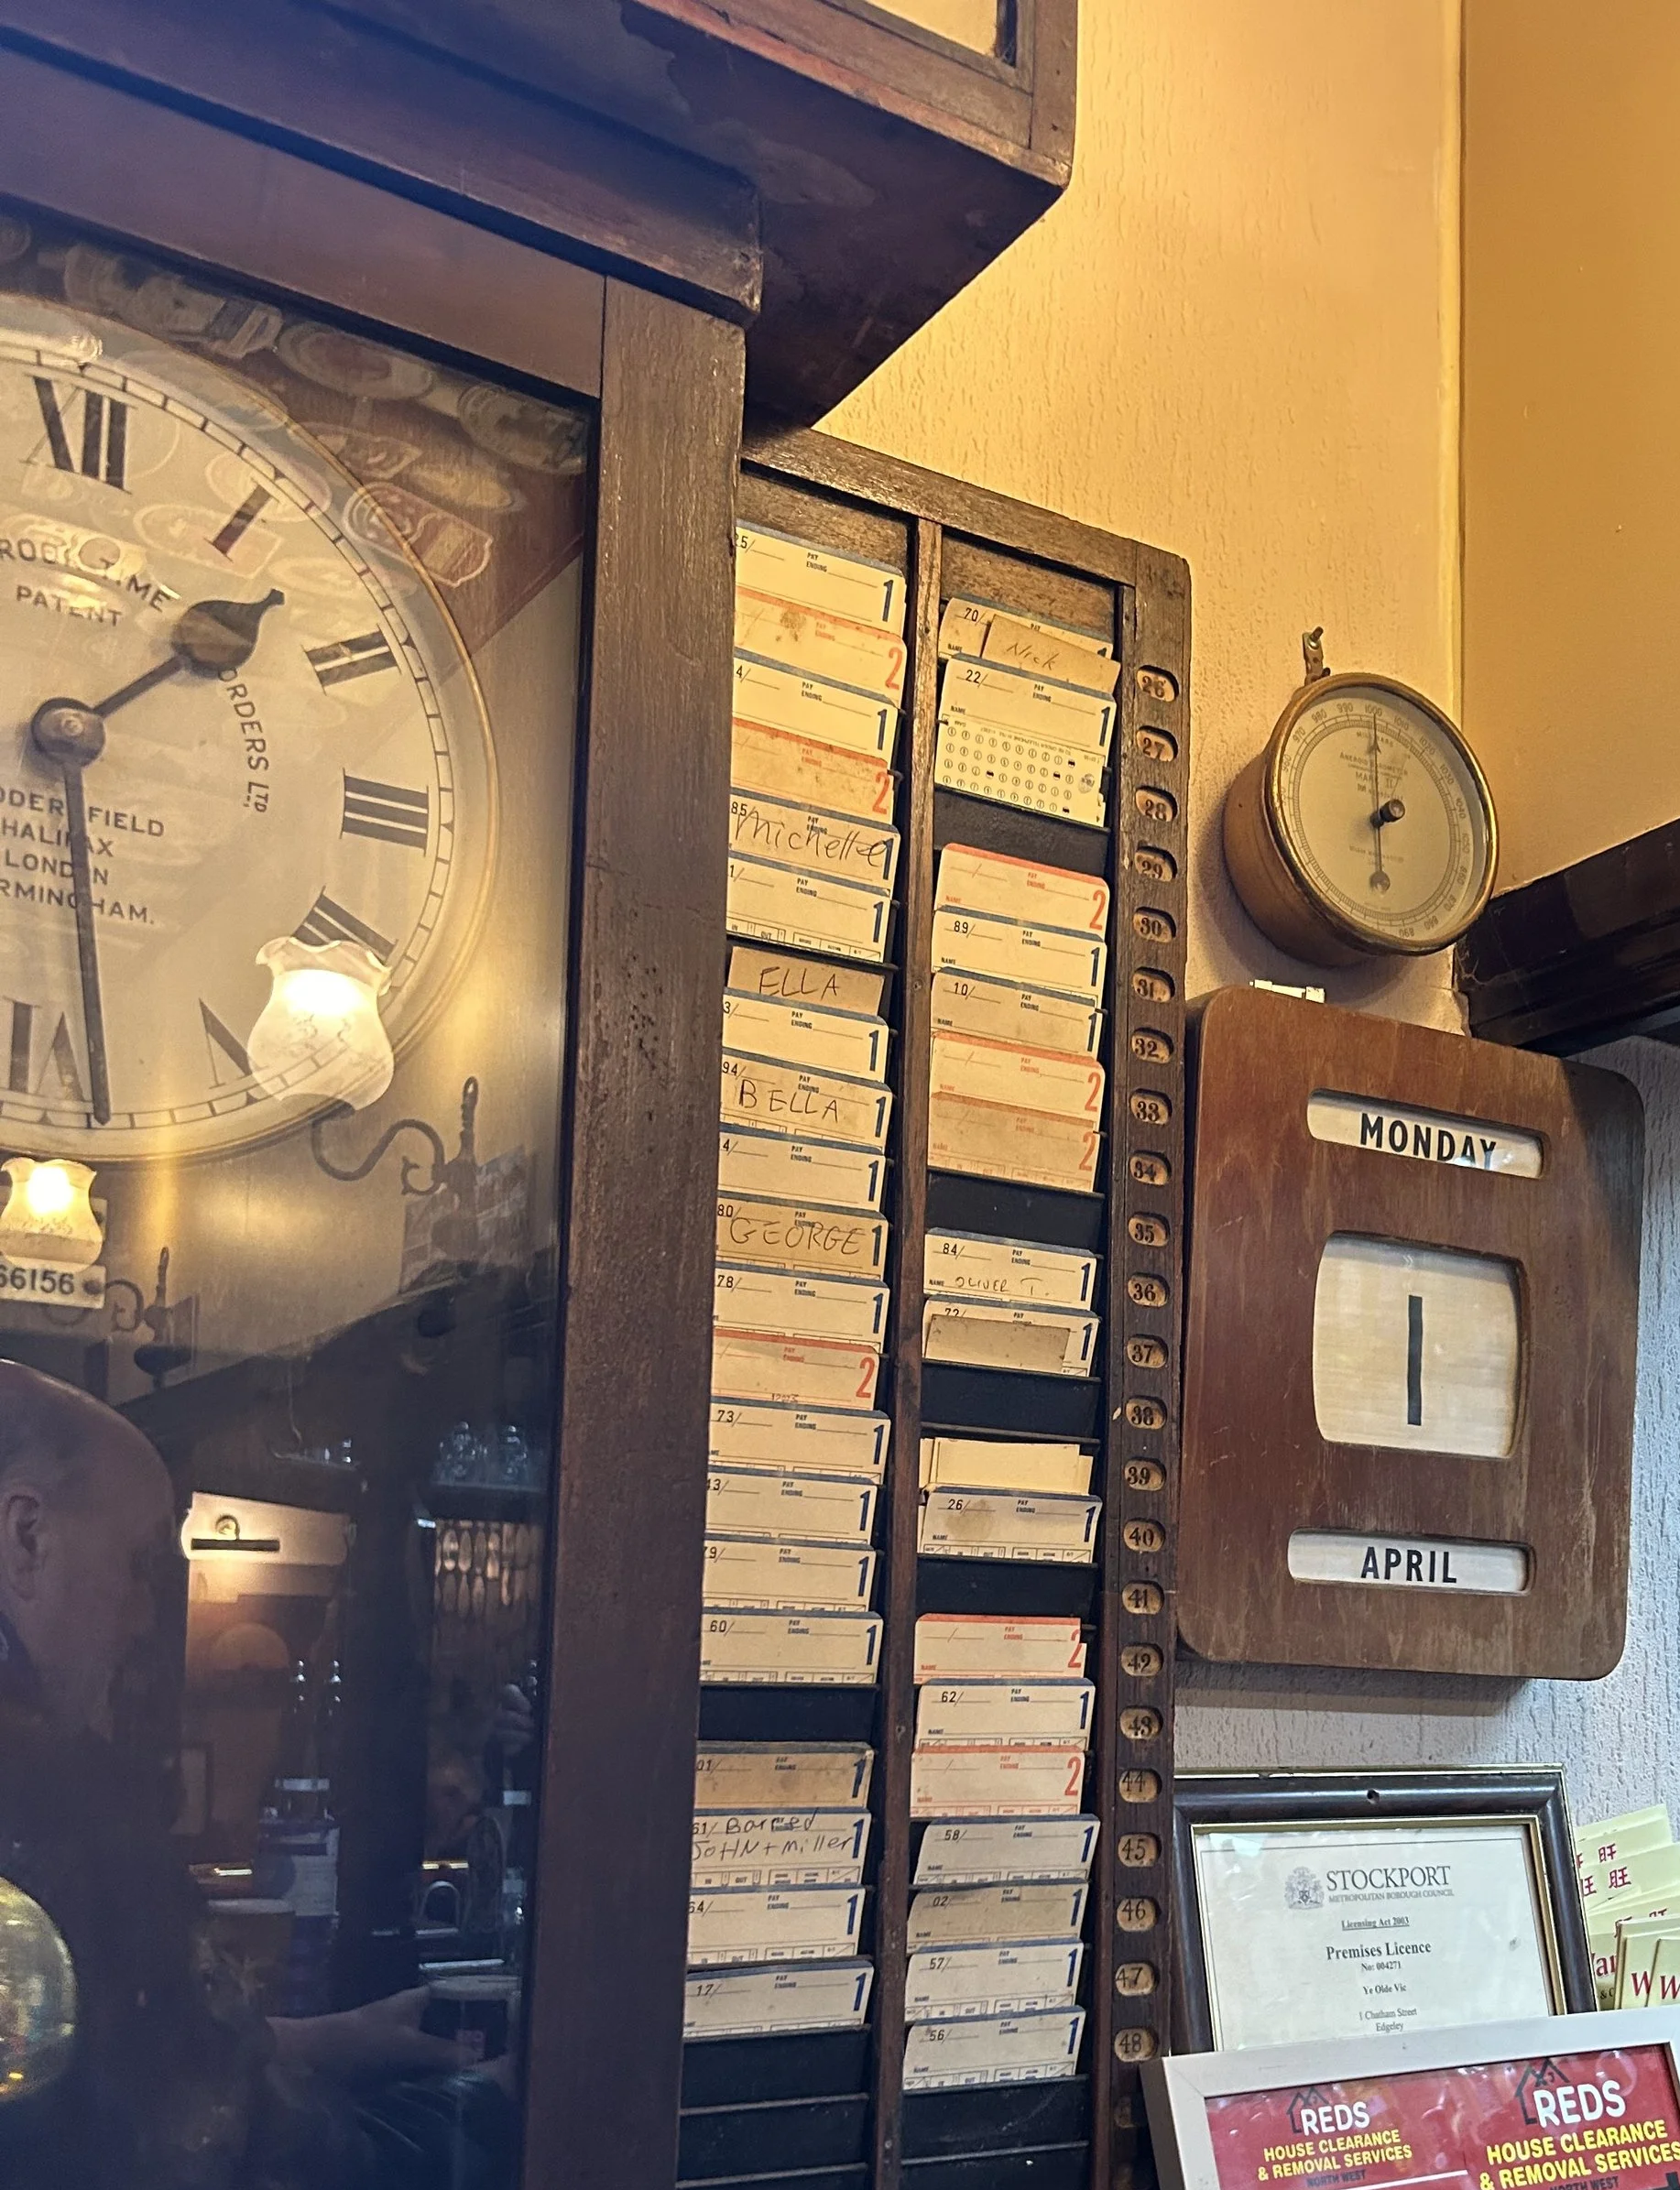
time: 1:28
